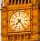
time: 7:23
